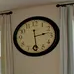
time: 2:29
